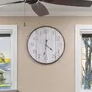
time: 4:31
